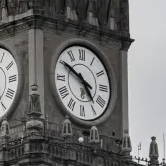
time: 4:50
